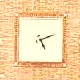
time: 5:11
